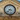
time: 3:37
